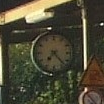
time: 7:22
